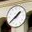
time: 1:38
